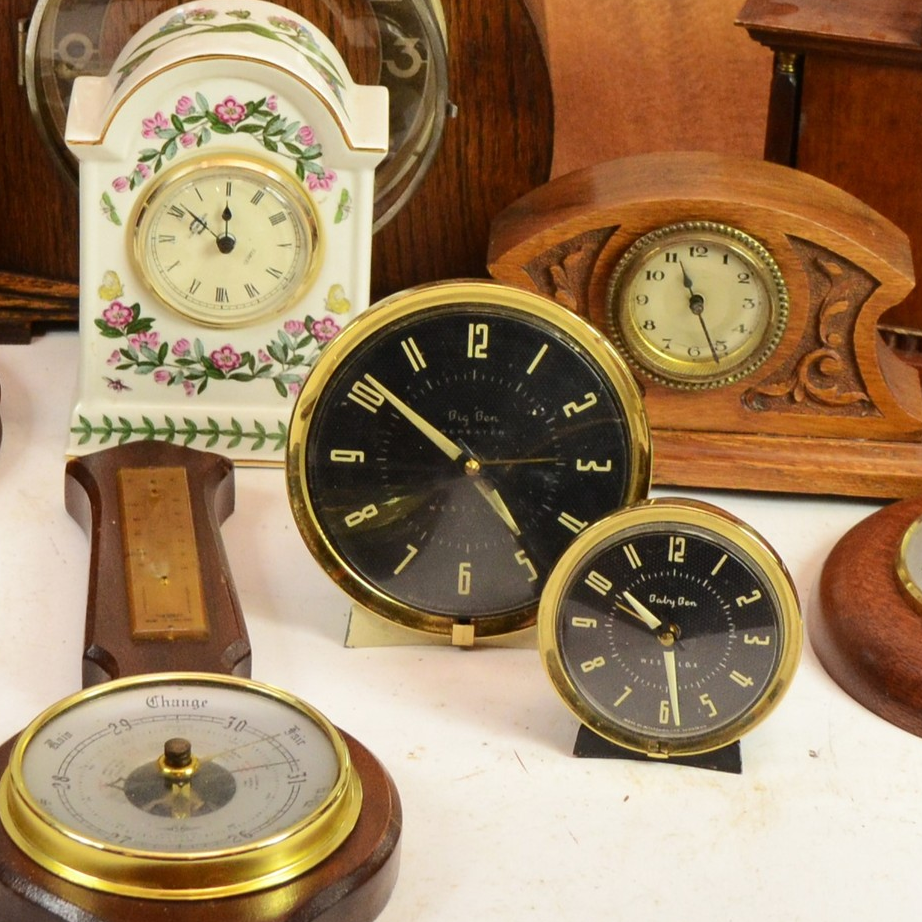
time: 4:51
